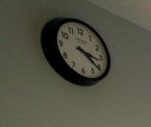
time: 3:21
